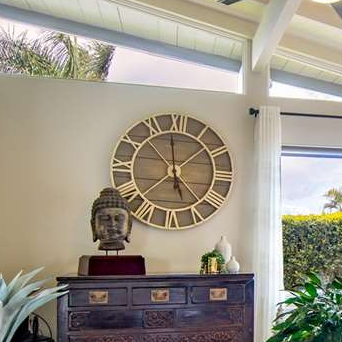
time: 4:58
